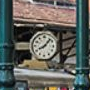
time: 8:07
